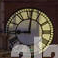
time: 9:01
